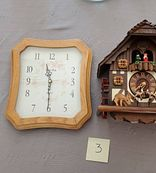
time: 11:30
